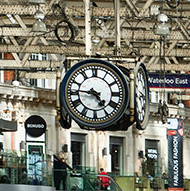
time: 4:45
